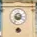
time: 8:36
